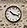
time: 10:17
